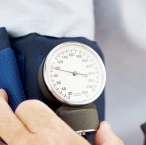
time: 2:46
